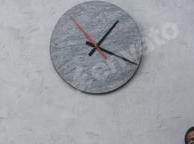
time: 1:18
